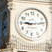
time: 9:13
